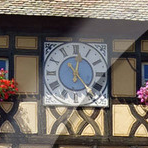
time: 12:23
